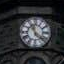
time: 11:21
